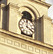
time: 4:00
